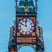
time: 11:49
